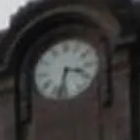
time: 3:32
